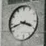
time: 3:42
